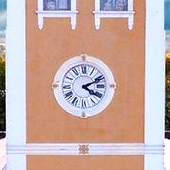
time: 4:10
